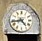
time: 4:42
